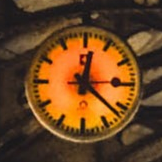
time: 12:21
